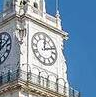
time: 12:11
